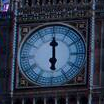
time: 6:00
